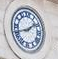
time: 1:41
